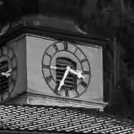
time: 3:34
